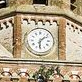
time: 1:30
